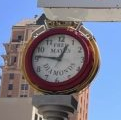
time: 12:46
